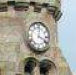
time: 4:01
